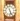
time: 5:26
